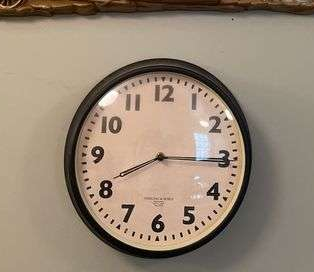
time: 8:15
